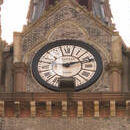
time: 9:12
